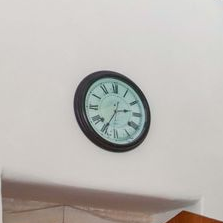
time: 2:35
